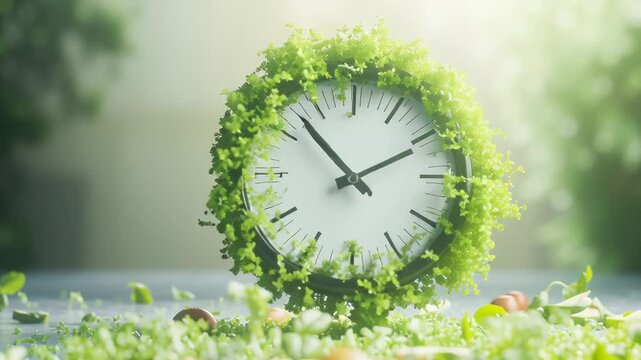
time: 1:53
